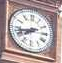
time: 7:42
